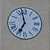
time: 6:57
